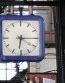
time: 6:15
